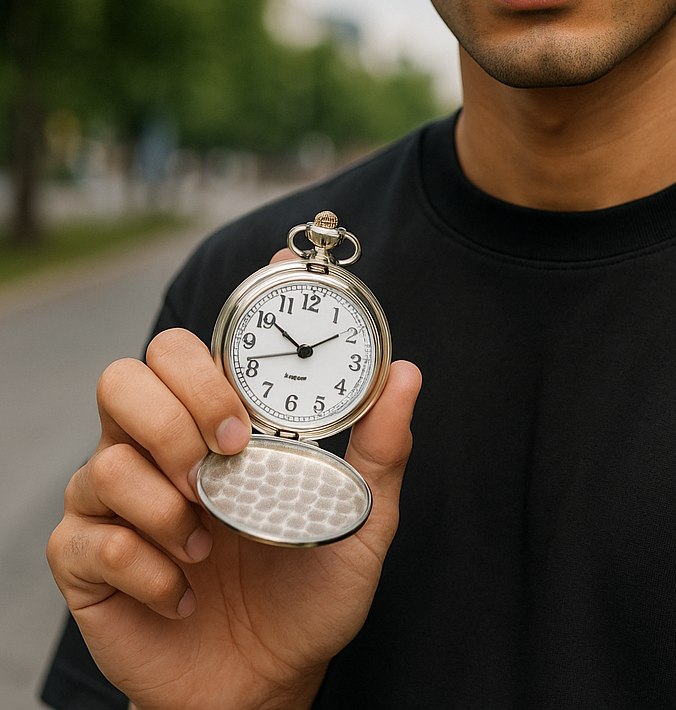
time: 1:50
